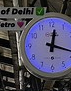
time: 12:18
